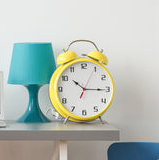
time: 10:15
